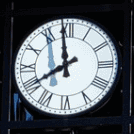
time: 7:58
